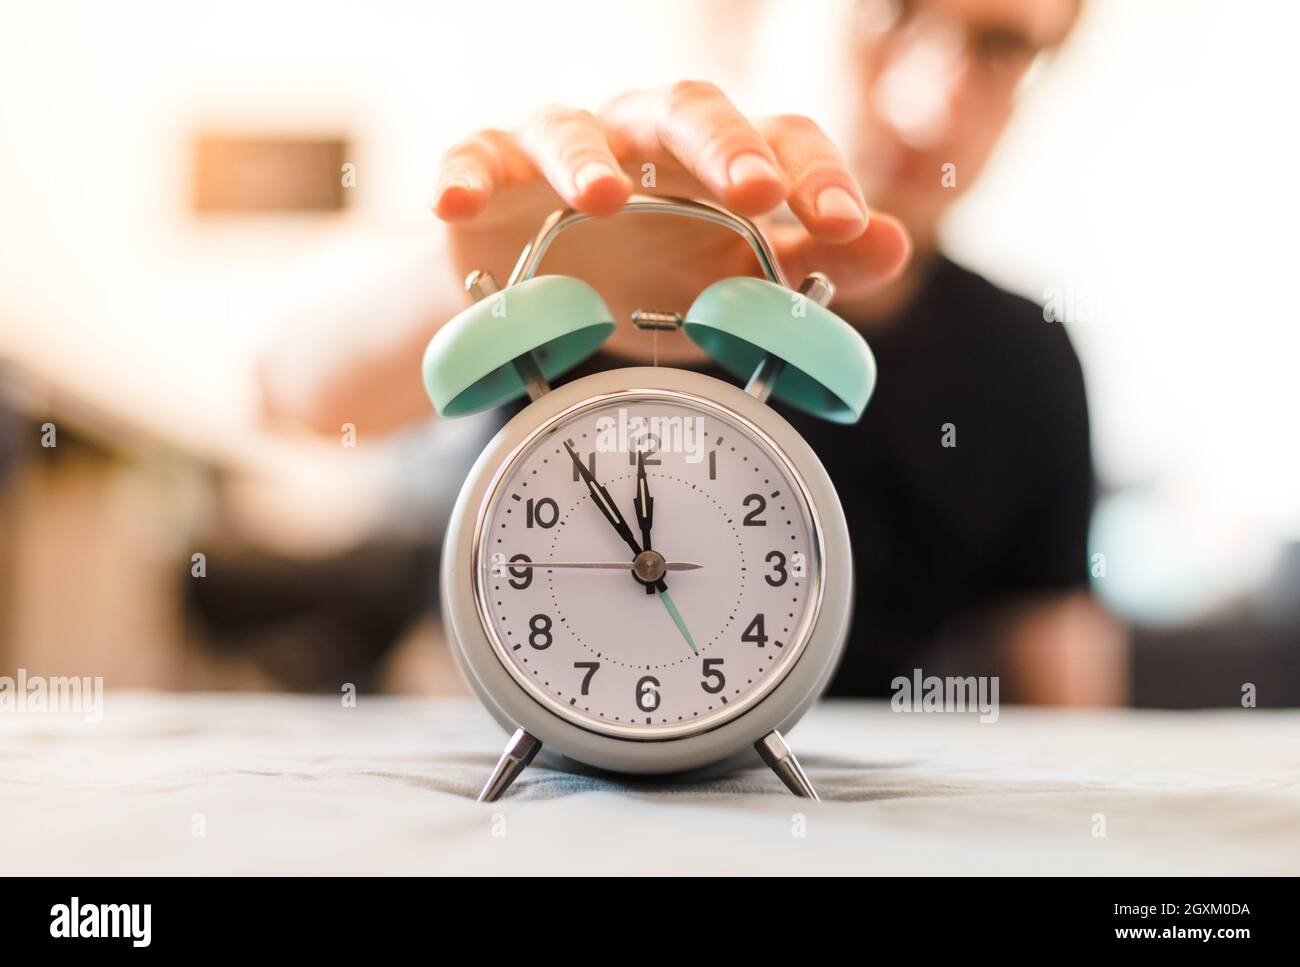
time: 11:54
